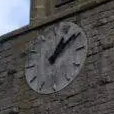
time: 1:08
